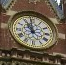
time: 10:59
